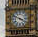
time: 3:48
